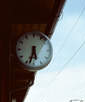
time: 5:33
